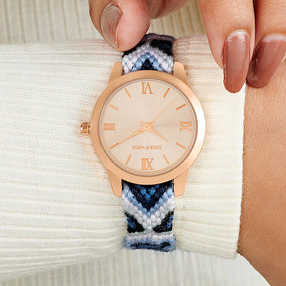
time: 4:13
